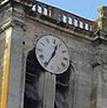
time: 12:34
